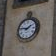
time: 1:46
